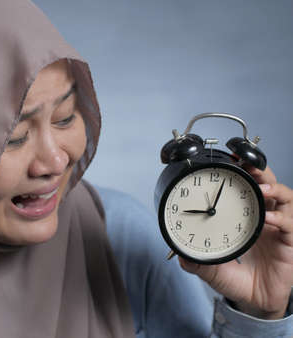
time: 9:03
